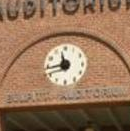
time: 11:43
